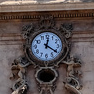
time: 12:20
